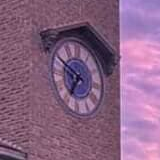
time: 6:49
